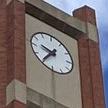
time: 9:35
